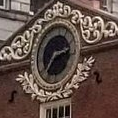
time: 2:36
